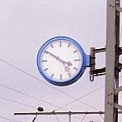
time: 3:50
